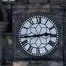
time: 2:43
